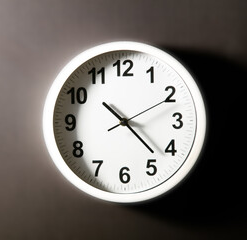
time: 10:22
